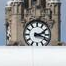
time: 2:18
